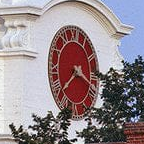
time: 3:38
